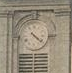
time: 4:21
